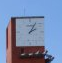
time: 2:05
